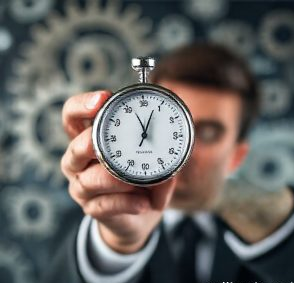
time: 11:03
